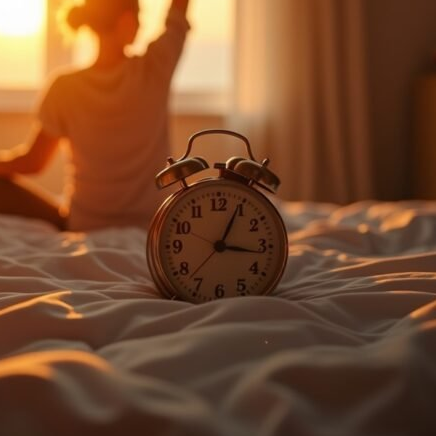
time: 3:04
